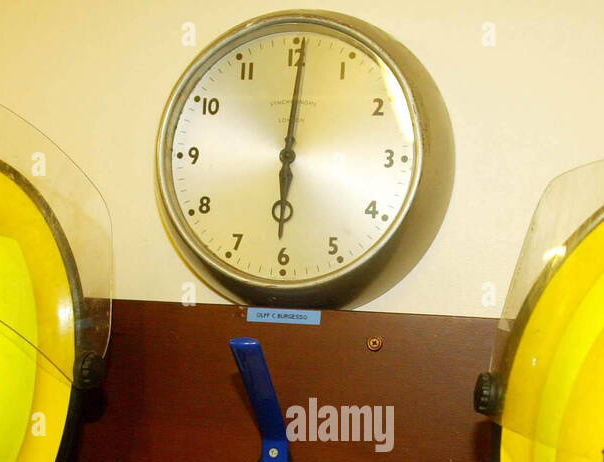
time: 6:00
